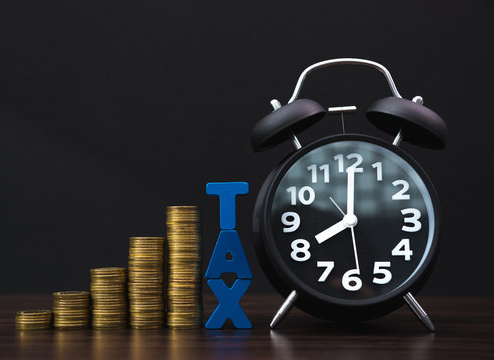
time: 8:00
